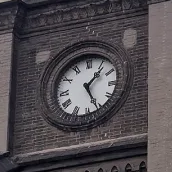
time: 1:25
